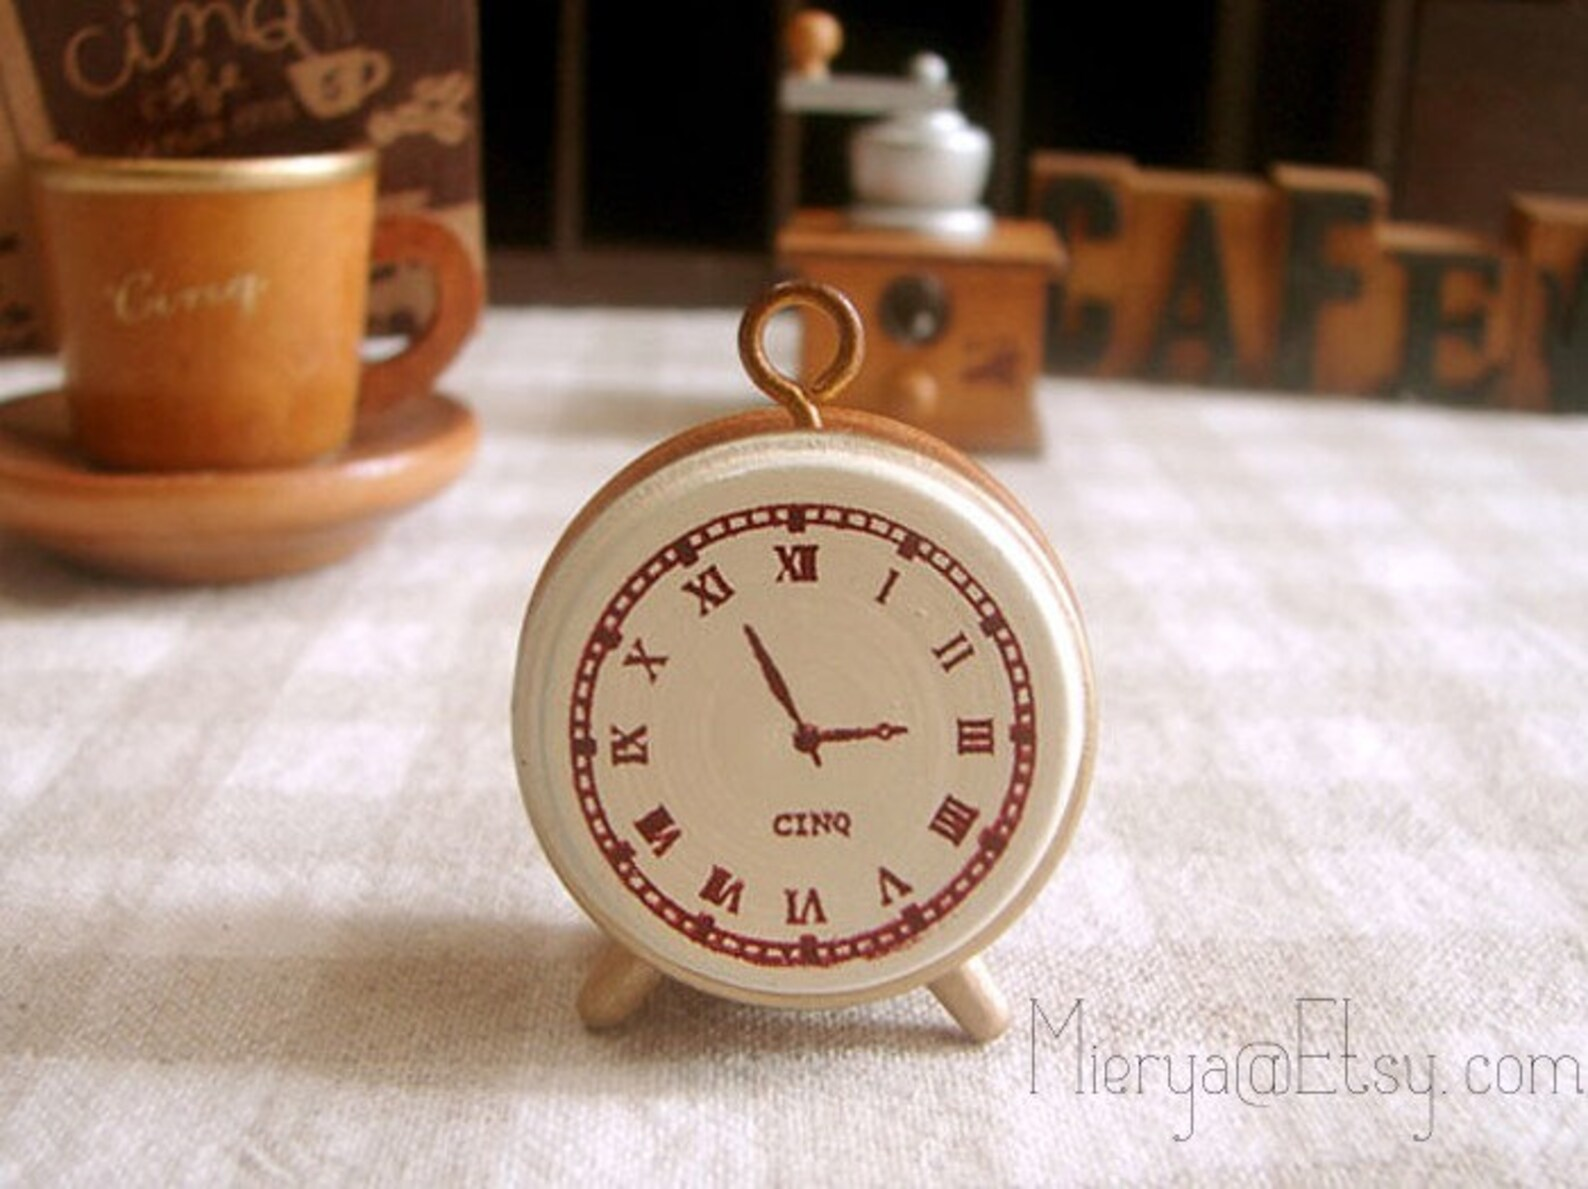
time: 2:55
